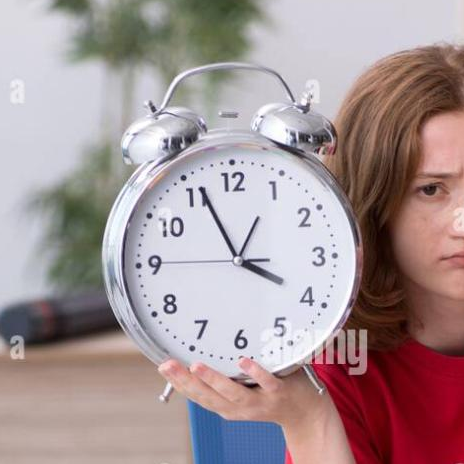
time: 3:55
